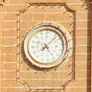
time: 5:07
